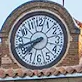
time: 7:42
